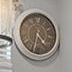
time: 4:32
